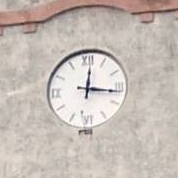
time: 12:16
